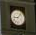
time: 9:07
